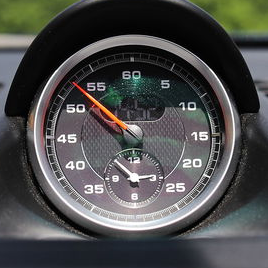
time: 5:52
